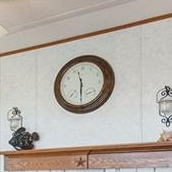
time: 11:29
